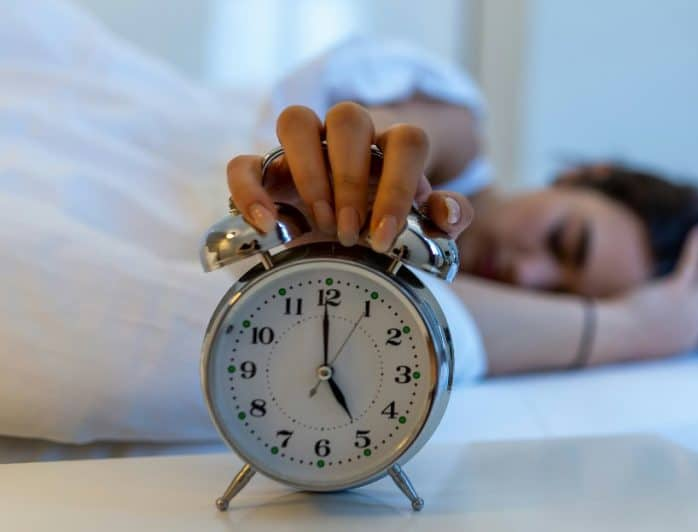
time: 4:59
